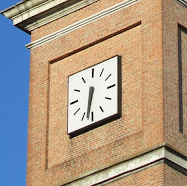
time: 6:32
